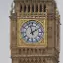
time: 1:57
